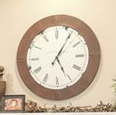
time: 5:05
